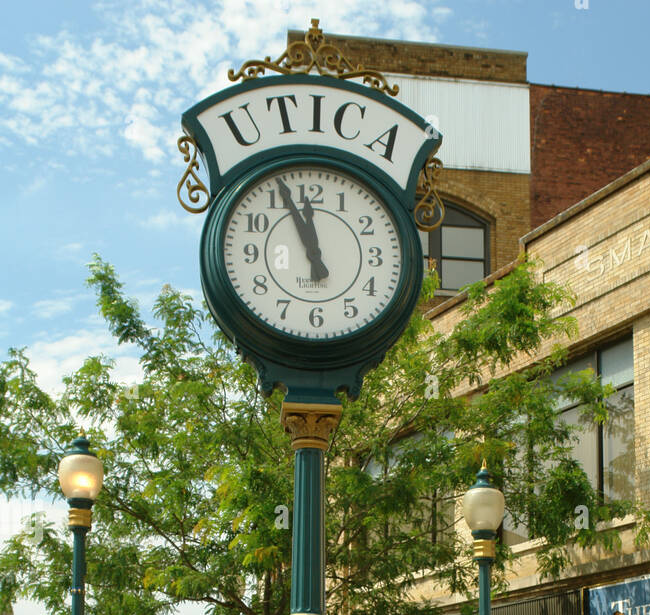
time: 11:56
